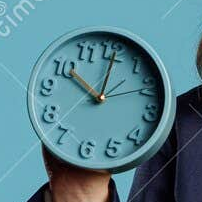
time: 10:00
